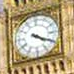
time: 4:19
